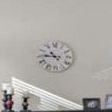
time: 10:45
